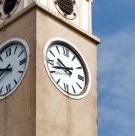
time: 9:42
